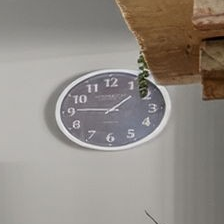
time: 1:45
